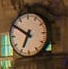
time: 6:50
